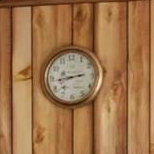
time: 2:43
